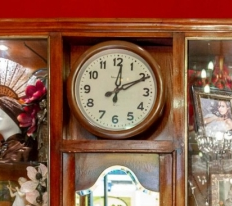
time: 12:10
